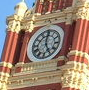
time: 4:59
